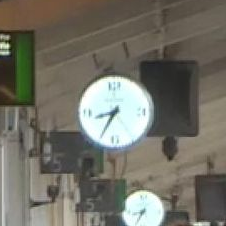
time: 8:34
